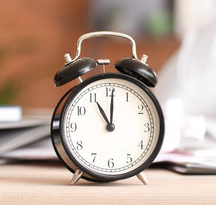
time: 11:00
